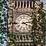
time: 4:13
